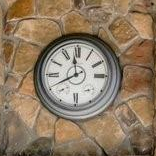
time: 11:40
